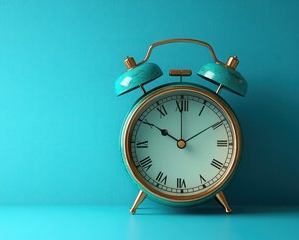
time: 10:00
